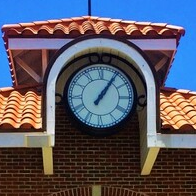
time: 1:05
